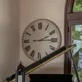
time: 2:15
